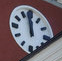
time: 11:58
